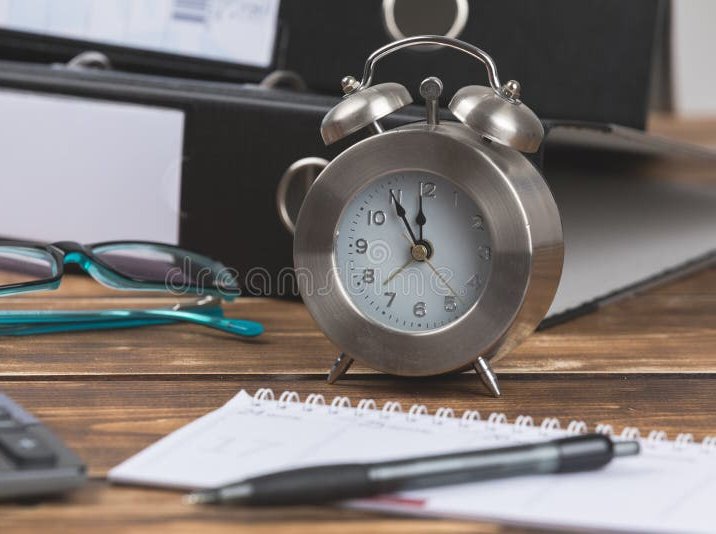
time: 11:55
